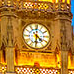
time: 4:31
